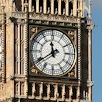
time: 11:39
